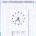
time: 7:27
